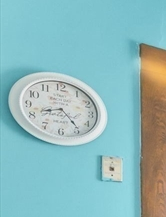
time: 8:23
